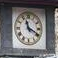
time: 11:19
